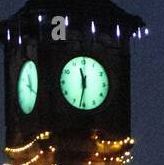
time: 11:31
